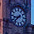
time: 8:38
